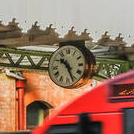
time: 10:26
